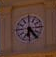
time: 6:23
